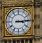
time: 3:14
